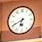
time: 6:40
